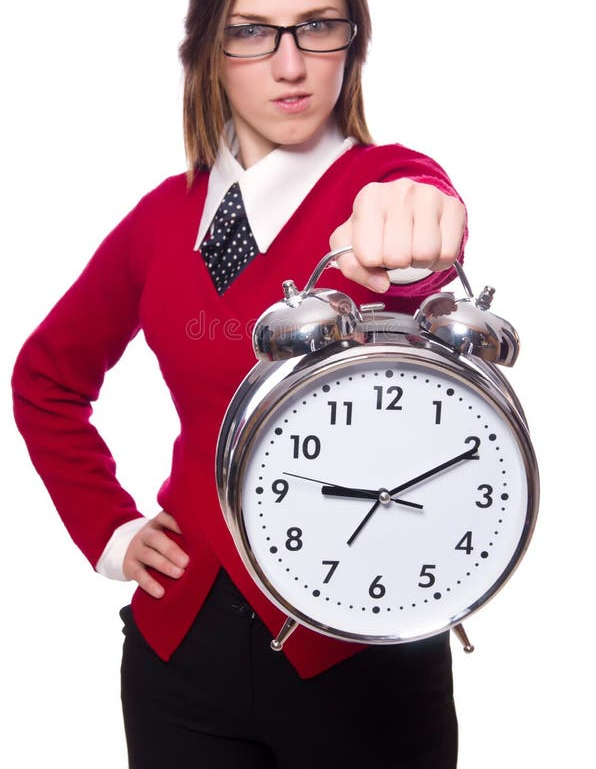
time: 9:10
